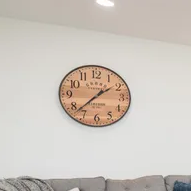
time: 1:37
